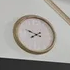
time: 7:48
